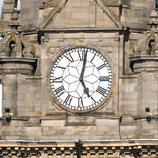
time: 5:01
